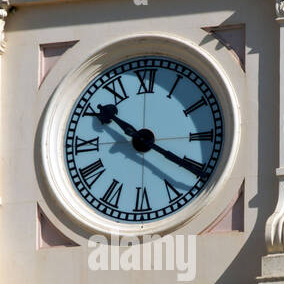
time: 10:20
